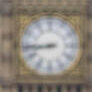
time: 8:44
